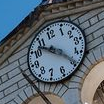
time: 10:24
